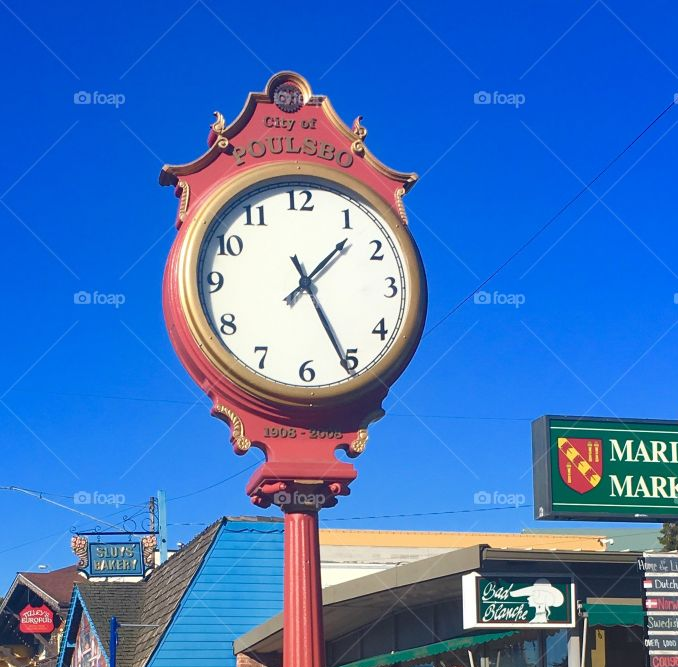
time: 1:25
